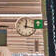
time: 12:16
